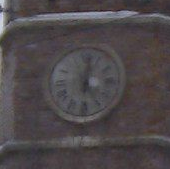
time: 12:24
